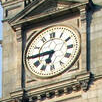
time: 6:44
